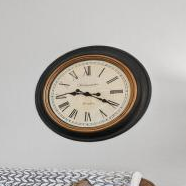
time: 9:19
